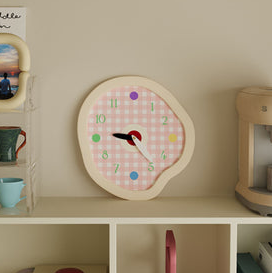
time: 9:23
